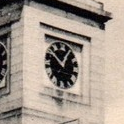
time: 12:52
